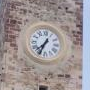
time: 7:34
